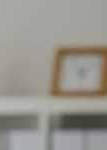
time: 4:29
